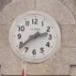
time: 2:38
